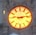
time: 9:13
